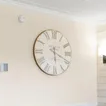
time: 5:18
